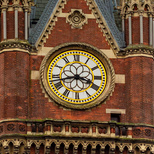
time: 3:42
